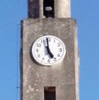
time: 4:58
